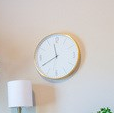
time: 11:40
